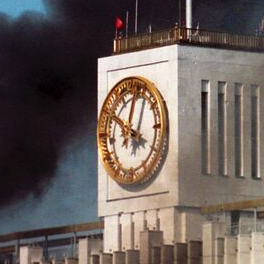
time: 12:49
